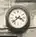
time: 3:38
